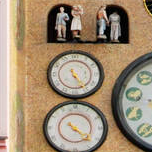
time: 5:24
